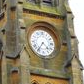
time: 4:35
